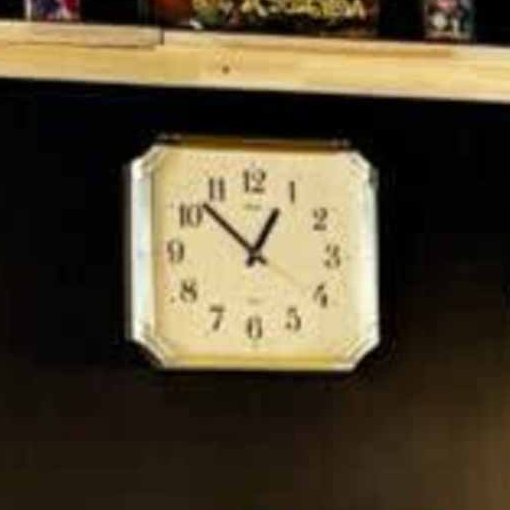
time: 12:52
